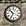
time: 10:34
